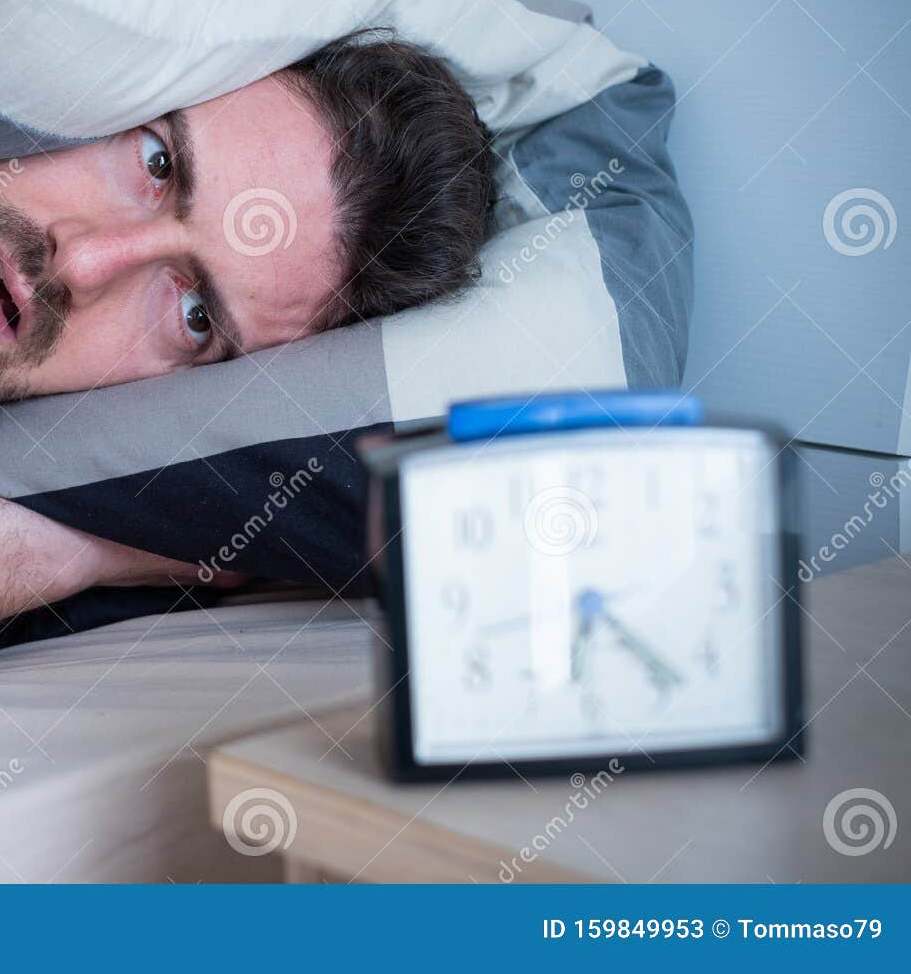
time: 6:23
